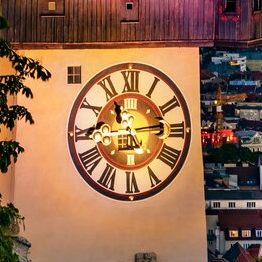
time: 11:13
